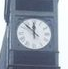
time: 11:52
